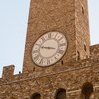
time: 9:47
